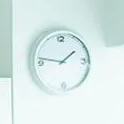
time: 1:46
